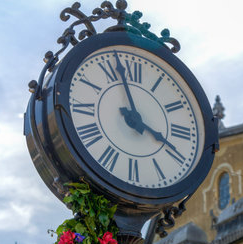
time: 3:57
